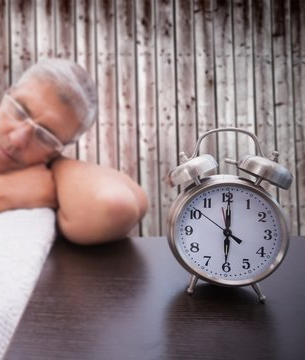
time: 6:00
